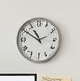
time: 10:50
